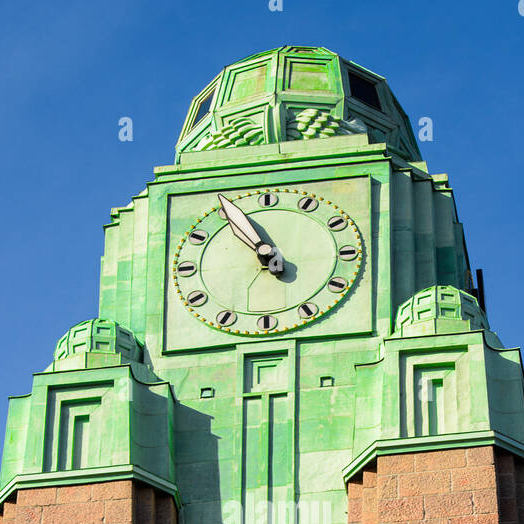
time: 10:56
